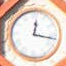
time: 12:16
